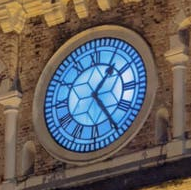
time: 1:24
